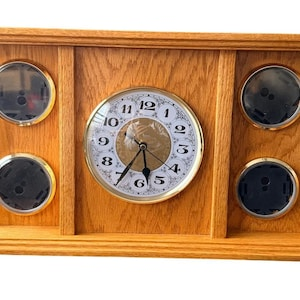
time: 5:35
